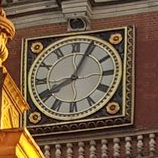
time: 8:04
